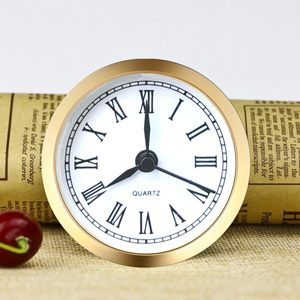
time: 8:00
